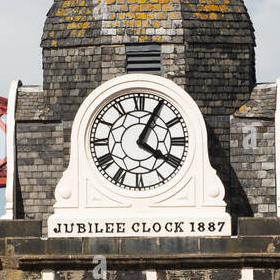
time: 4:04
